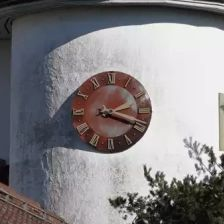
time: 2:18
